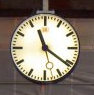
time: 11:21
